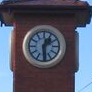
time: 1:29
